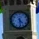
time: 4:29
